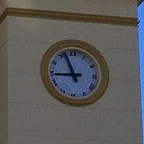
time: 8:56
